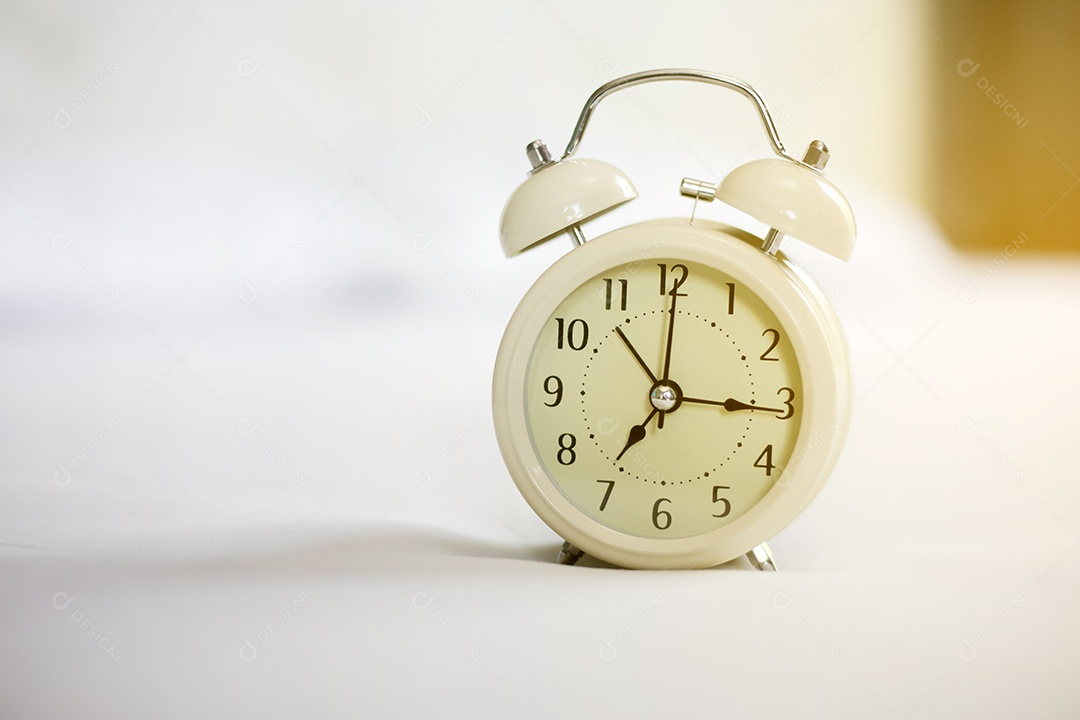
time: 7:15
